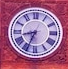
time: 8:34
